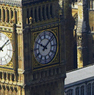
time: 10:07
